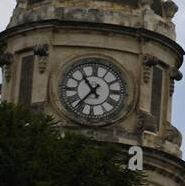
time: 10:36
